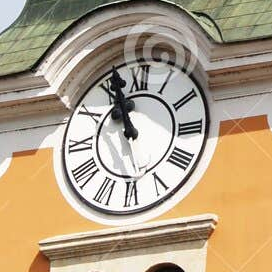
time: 10:56
